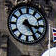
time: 3:24
